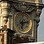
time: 6:13
